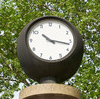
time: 10:17
